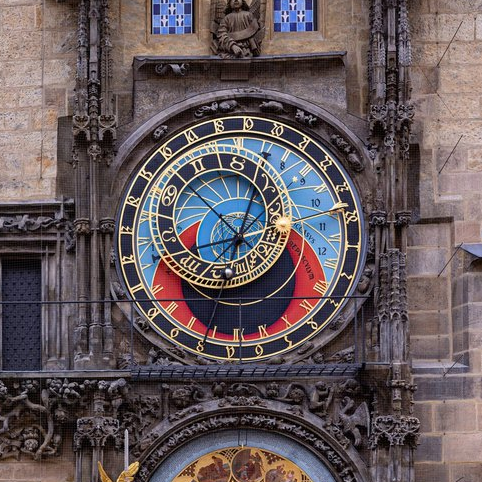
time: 12:52
